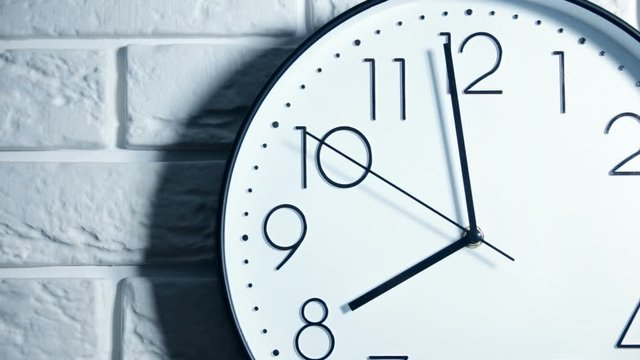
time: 7:58
